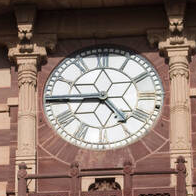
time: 4:44
